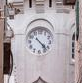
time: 4:22
